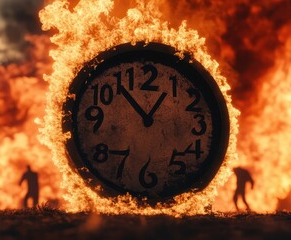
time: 12:53
